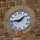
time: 1:43
